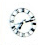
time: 7:12
